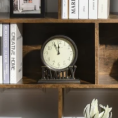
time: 11:55
